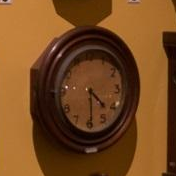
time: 4:29
